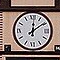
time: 12:08
